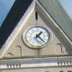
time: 1:22
